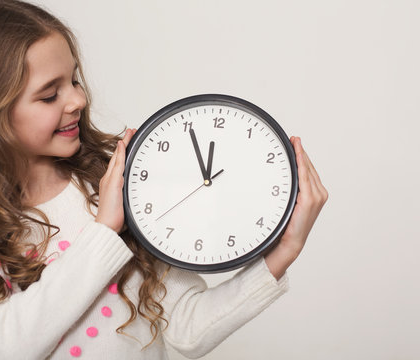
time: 11:55
